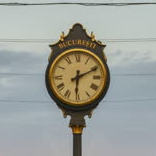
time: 6:10
